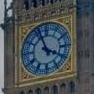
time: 3:56
